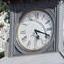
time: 5:18
